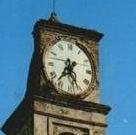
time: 7:25
